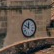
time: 11:49
